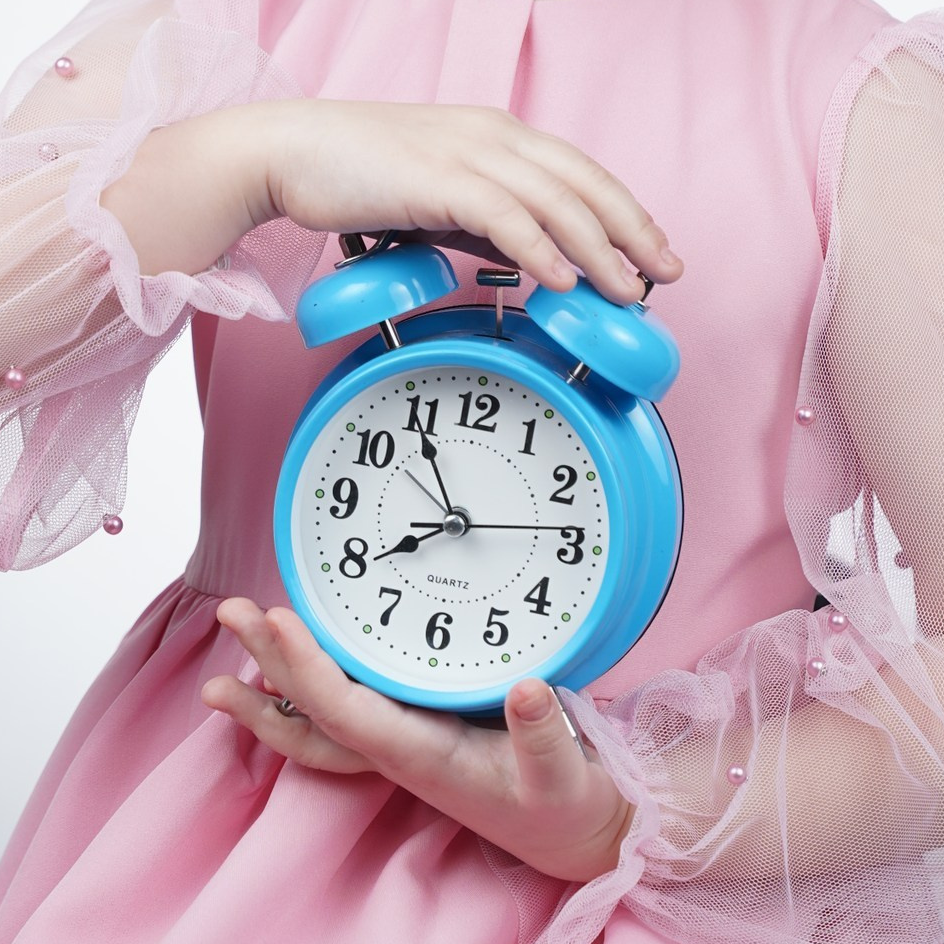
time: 7:54
